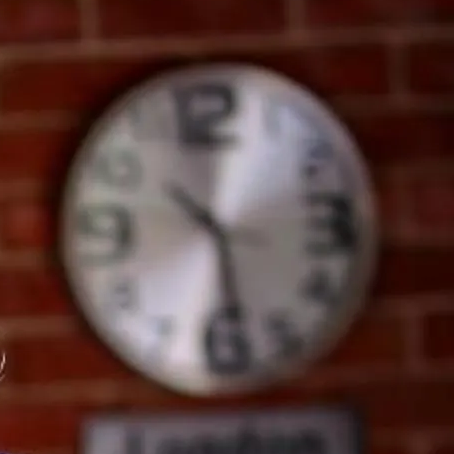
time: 10:28
